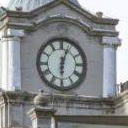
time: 6:03
